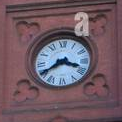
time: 3:40
